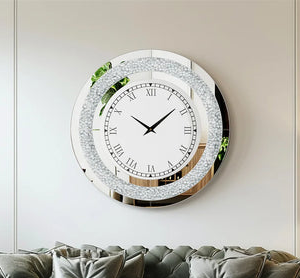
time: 10:08
